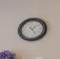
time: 1:24
